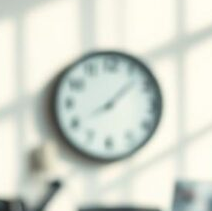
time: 8:07
